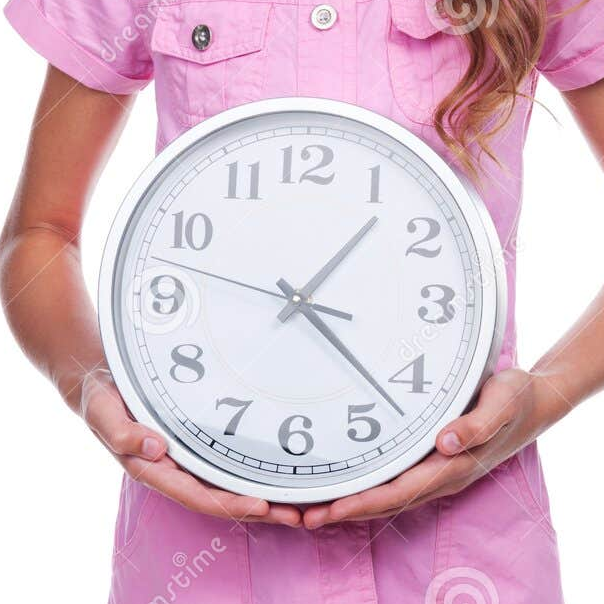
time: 1:22
